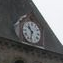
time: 10:32
